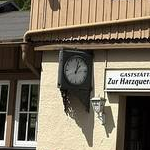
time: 1:02
